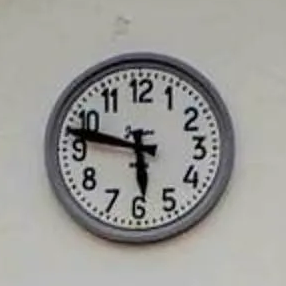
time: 5:47
